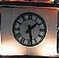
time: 1:28
